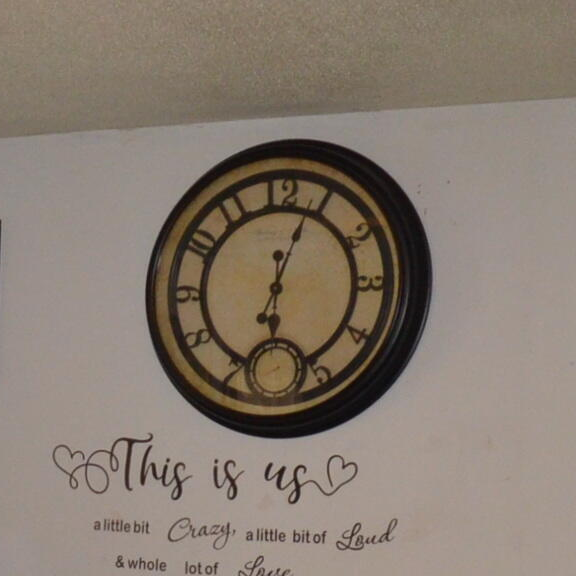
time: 6:03
